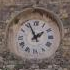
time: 1:56
